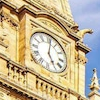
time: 5:01
